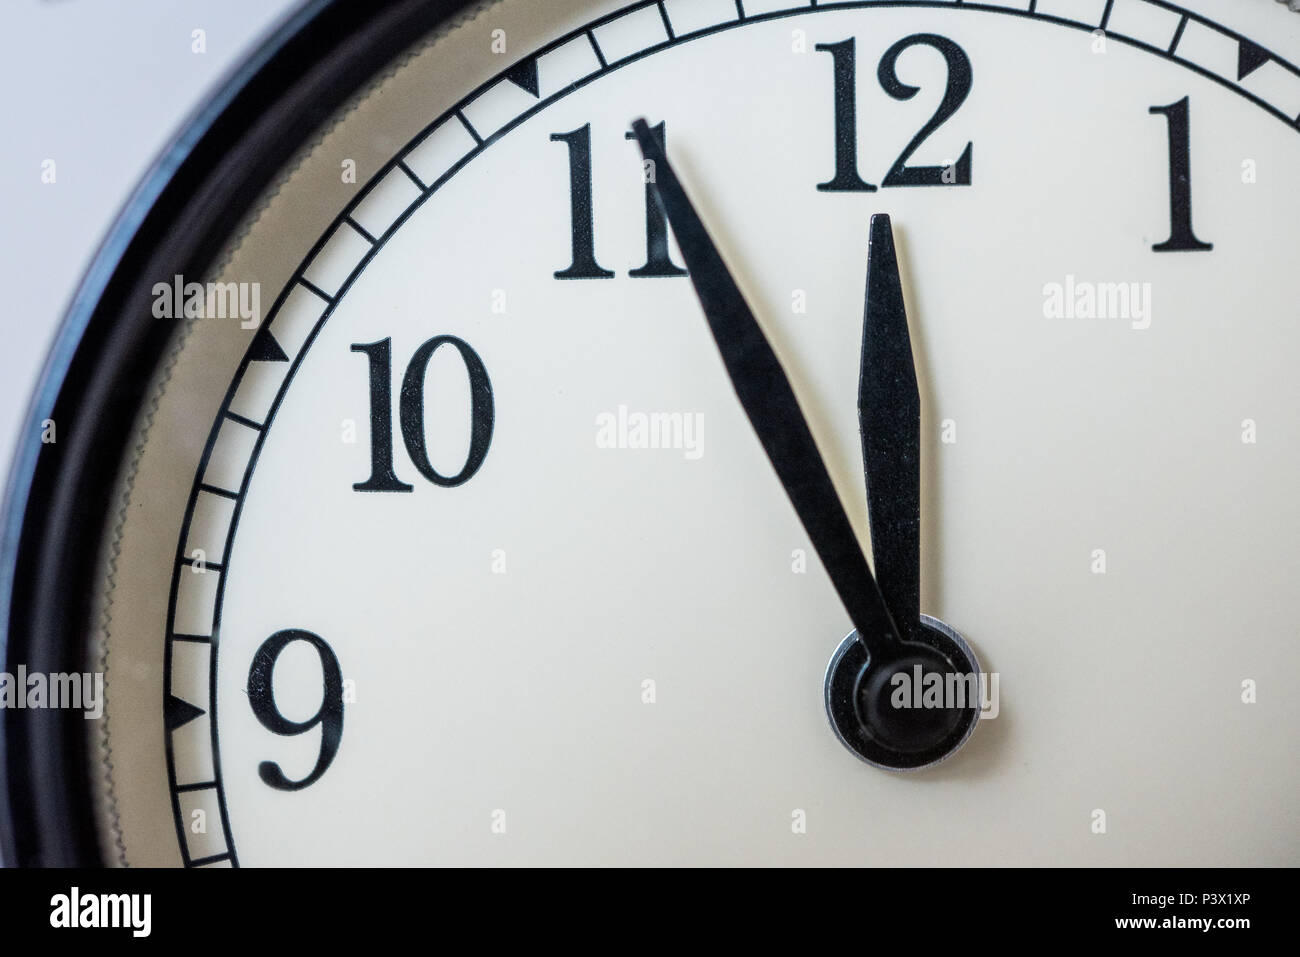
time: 11:55
